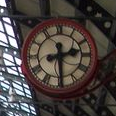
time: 2:29
